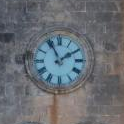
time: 1:55
